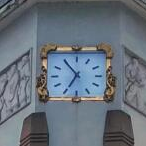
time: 6:54
